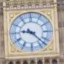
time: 9:22
